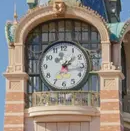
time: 1:34
